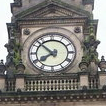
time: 7:52
